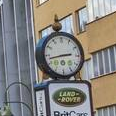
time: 2:42
